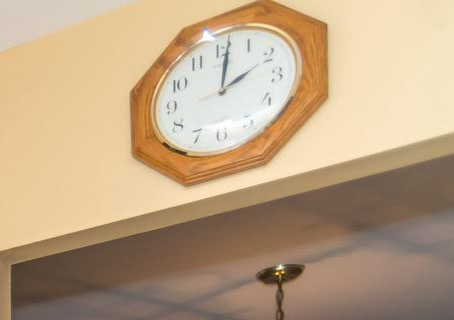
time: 2:01
